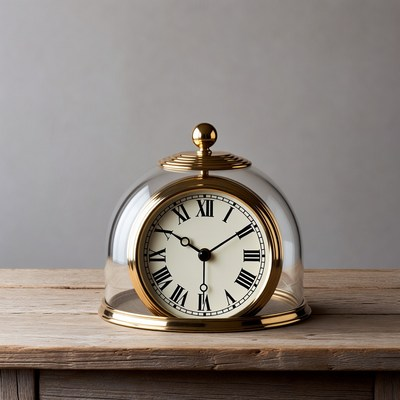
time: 10:09
